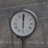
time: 6:00
